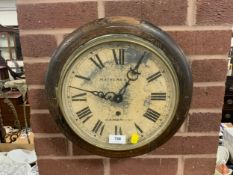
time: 9:04
